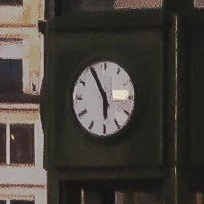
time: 5:55
